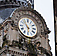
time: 5:53
